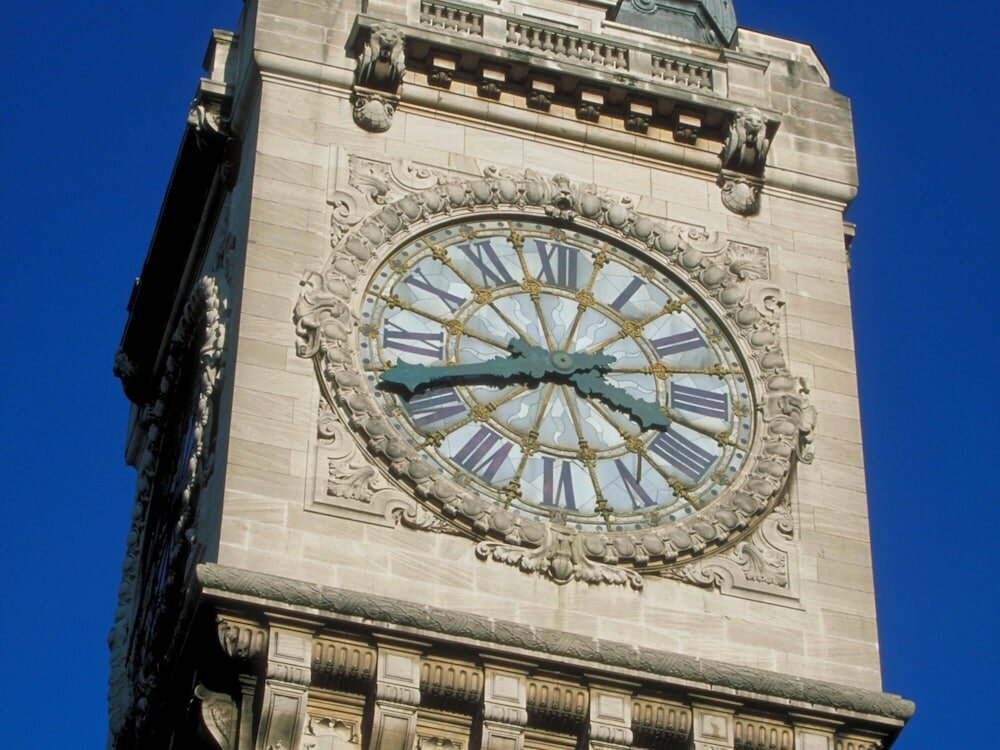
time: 3:40
